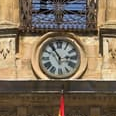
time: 2:54
